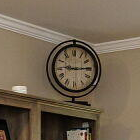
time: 9:14
